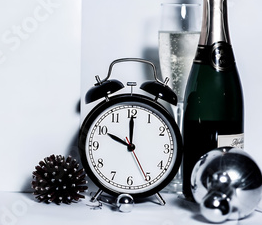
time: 10:00
